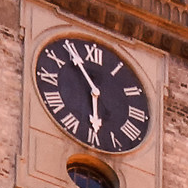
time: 5:54
